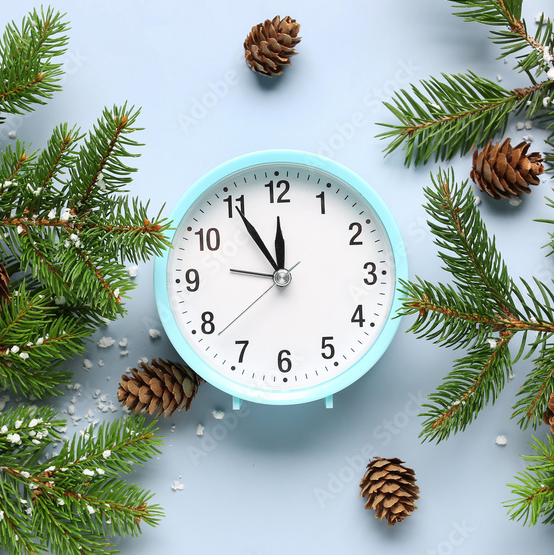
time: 11:54
